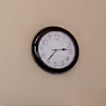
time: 2:35
